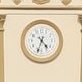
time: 4:33
